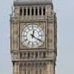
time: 12:20
